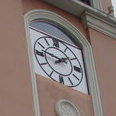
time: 1:46
